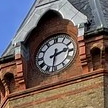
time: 2:31
